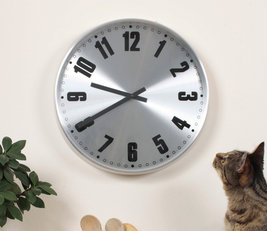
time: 9:40
